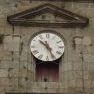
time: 10:26
